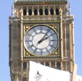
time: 2:06
